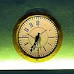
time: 6:34
